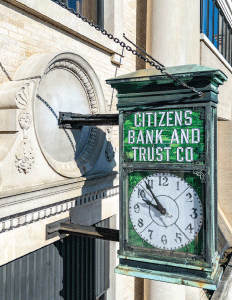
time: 9:53
